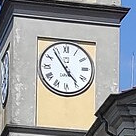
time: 4:54
